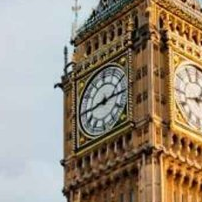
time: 2:44
